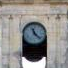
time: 11:22
